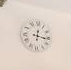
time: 12:16
